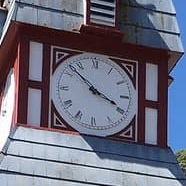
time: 3:52
